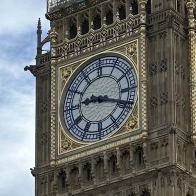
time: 9:18
